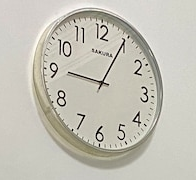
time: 9:04
